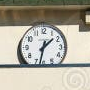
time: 1:32
